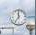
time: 11:35
